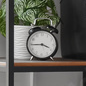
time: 3:44
